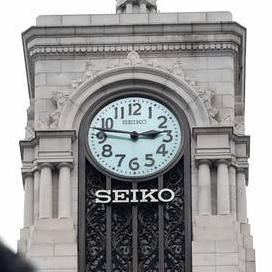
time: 2:46
